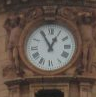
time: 12:55
